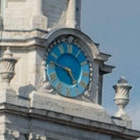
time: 4:46
